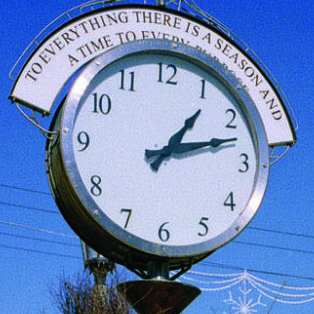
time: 1:12
